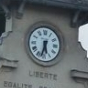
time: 5:32
